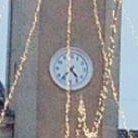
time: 4:37
